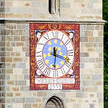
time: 6:18
